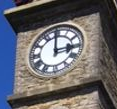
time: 2:59
